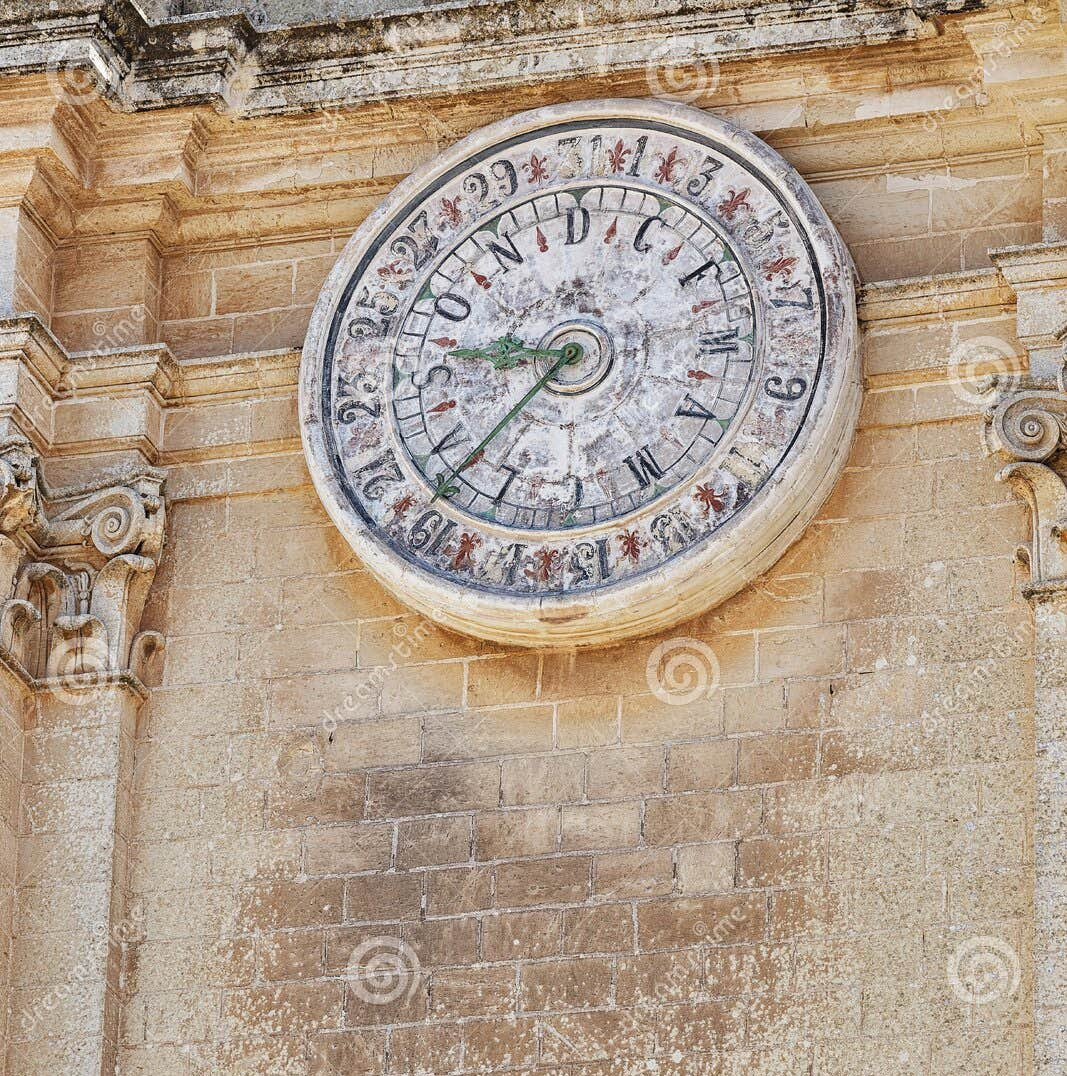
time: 8:37
